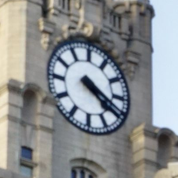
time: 4:19
